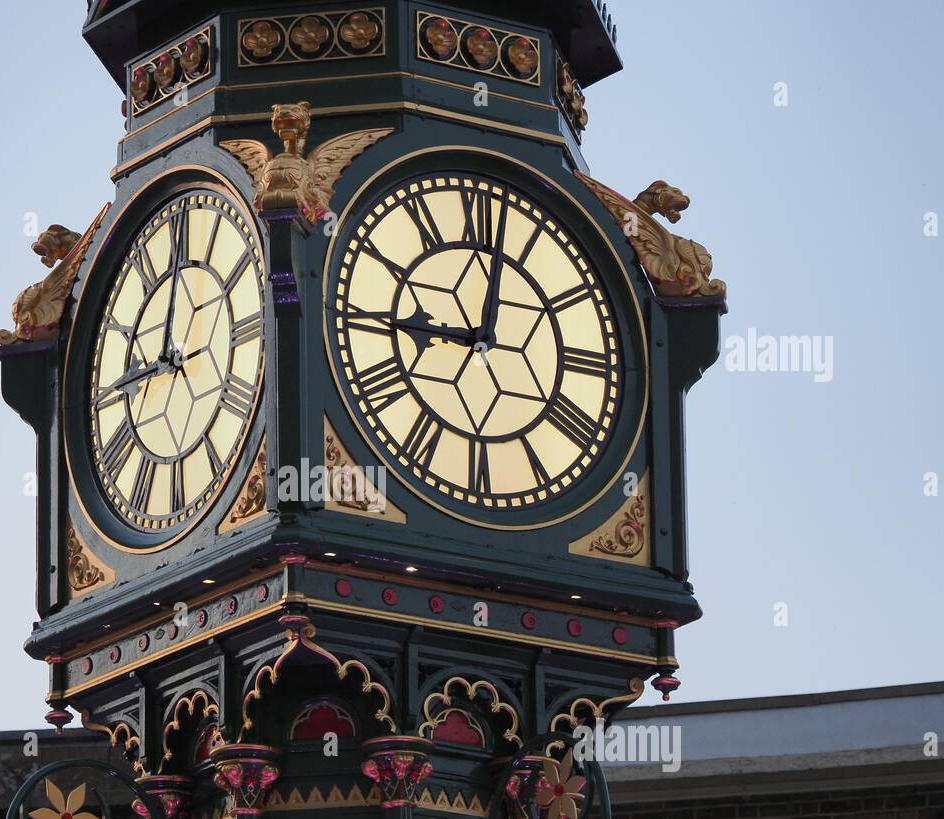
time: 9:01
